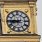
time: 8:45
